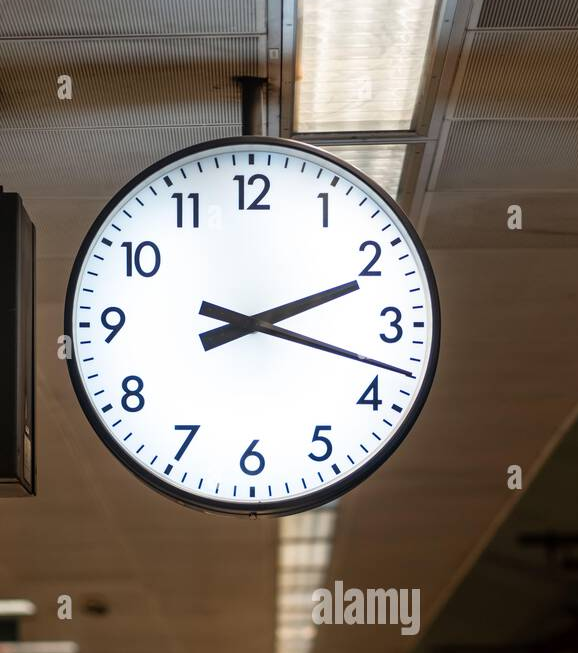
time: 2:17
